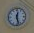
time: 12:27
